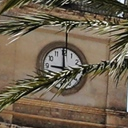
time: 8:59
